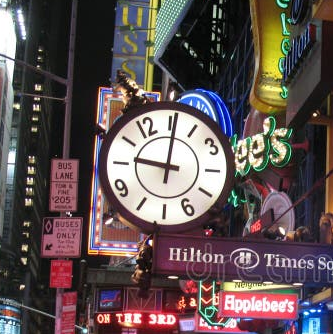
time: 9:01
